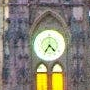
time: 4:35
